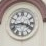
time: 3:43
